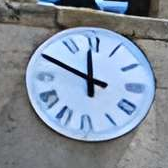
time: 11:49
